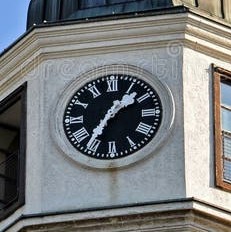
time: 1:36
